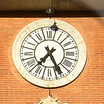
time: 7:25
